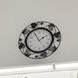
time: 1:56
